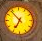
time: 6:53
